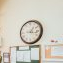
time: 1:16
